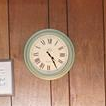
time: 4:24
